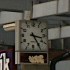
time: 3:24
